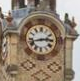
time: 2:42
